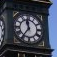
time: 11:36
